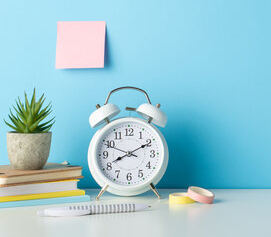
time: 8:10
